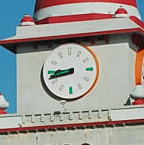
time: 8:45
